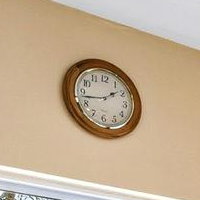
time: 1:43
